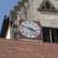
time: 3:47
